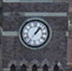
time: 1:07
